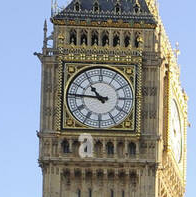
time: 10:45
